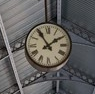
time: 1:54
